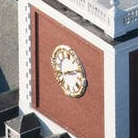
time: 8:11
